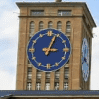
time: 3:04
